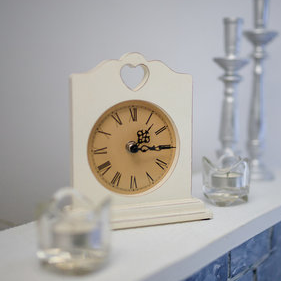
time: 1:15
